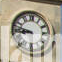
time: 8:47
